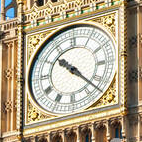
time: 10:22
